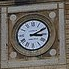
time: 3:10
